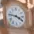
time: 3:46
